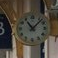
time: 11:07
